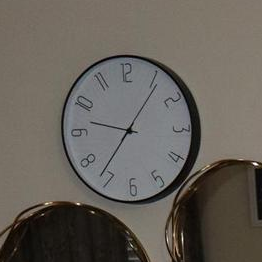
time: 9:36
